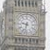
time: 9:32
